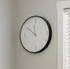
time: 11:51
